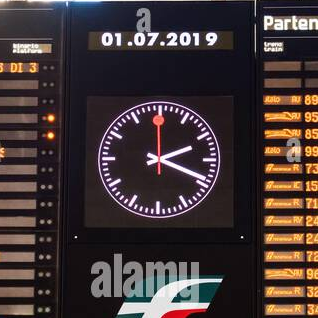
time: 2:18
